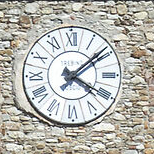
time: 4:08
